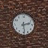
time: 2:28
